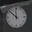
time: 11:52
